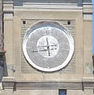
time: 5:42
